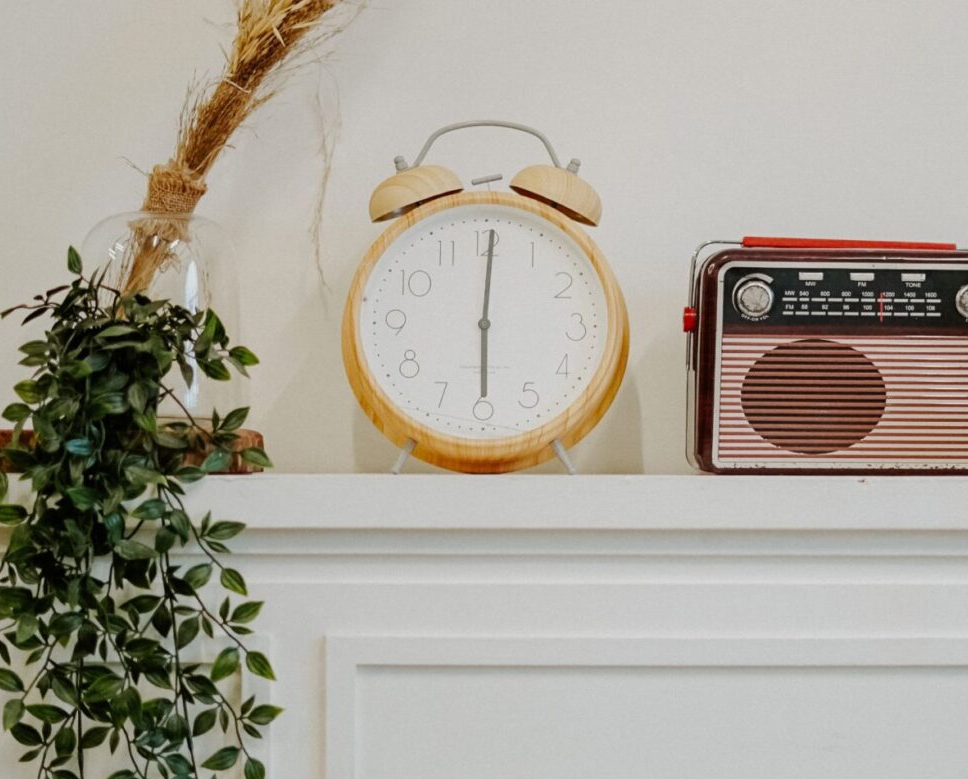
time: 6:00
